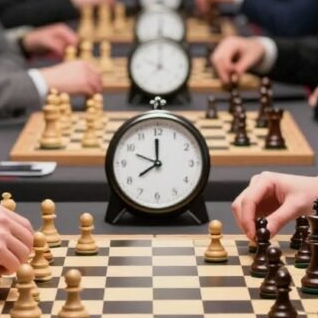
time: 7:59
